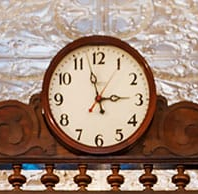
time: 2:57
